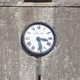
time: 3:28
